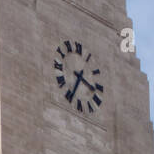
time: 3:34
